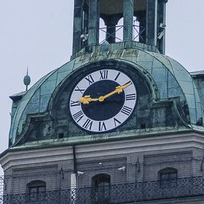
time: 9:10
